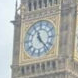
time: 11:22
